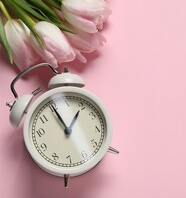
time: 12:55
